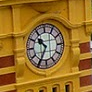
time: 10:34
